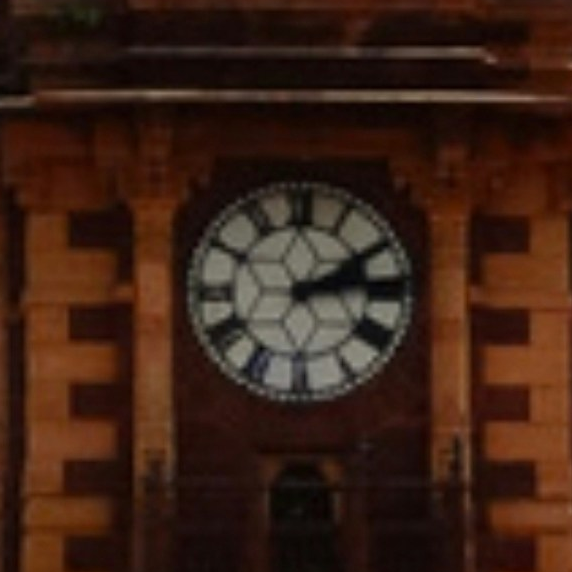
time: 2:14
